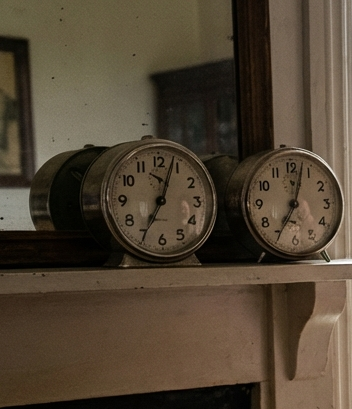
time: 7:03
